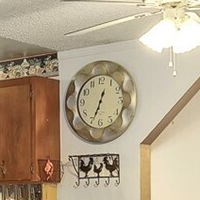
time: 12:34
